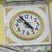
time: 4:54
